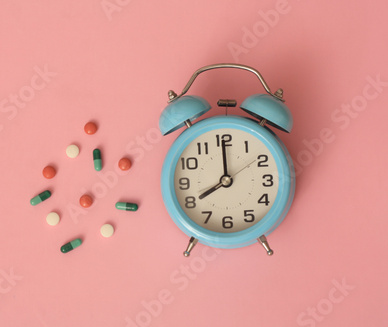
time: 7:59
